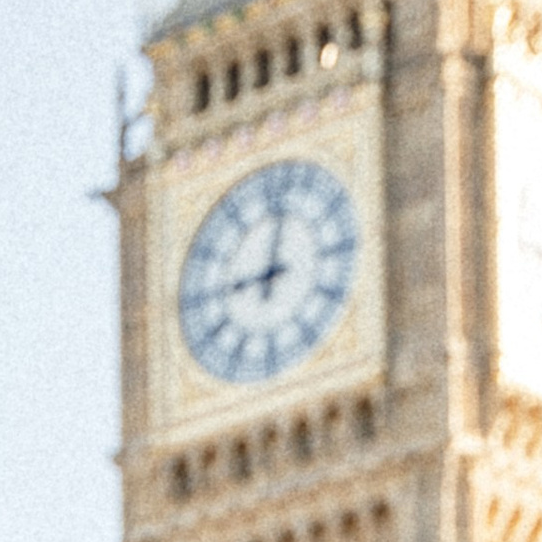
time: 9:01
